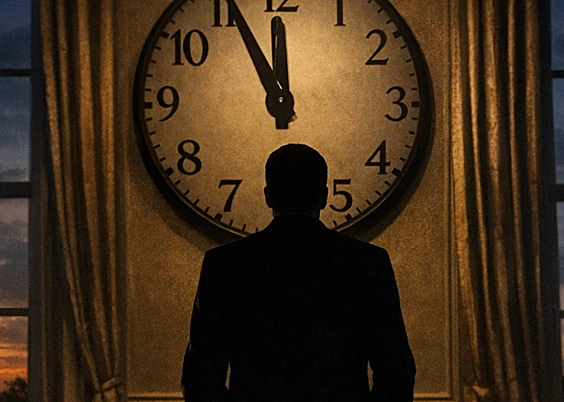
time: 11:55
